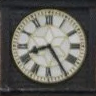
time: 8:24
